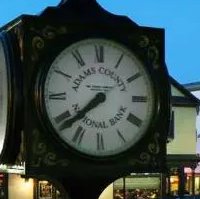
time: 7:38
